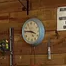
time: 3:45
